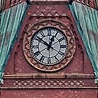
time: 12:51
